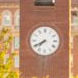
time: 7:40
